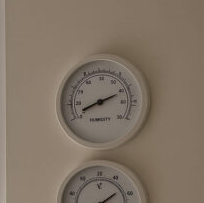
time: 8:11
